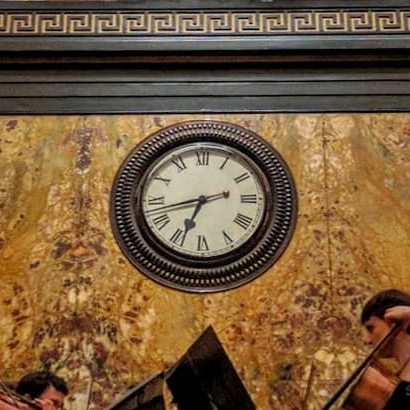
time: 6:42
